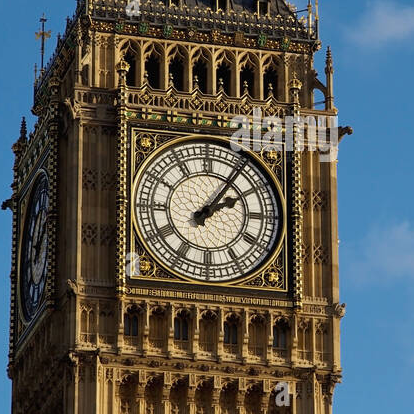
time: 2:06
